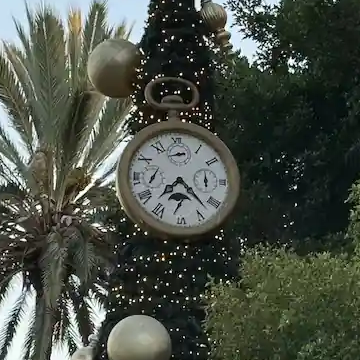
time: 7:22
